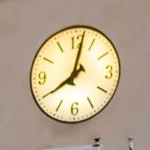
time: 8:02
